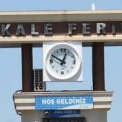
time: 12:49
